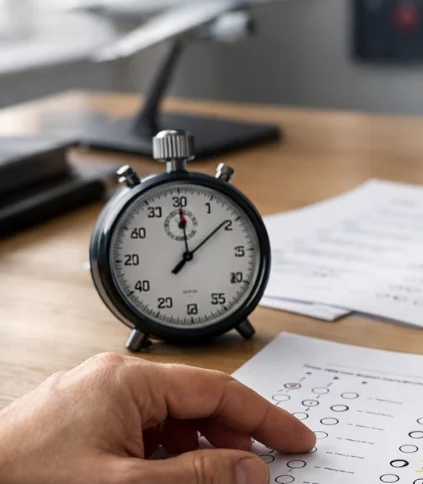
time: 12:08
